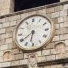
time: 6:39
